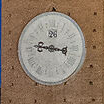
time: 9:16
